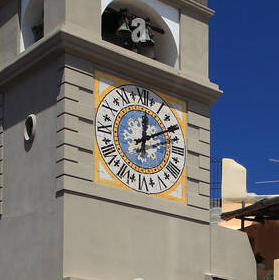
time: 12:09
